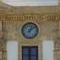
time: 1:09
